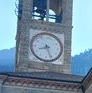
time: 8:26
